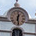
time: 12:28
